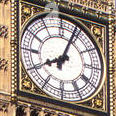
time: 8:04
